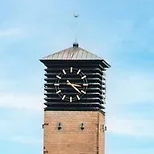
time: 4:14
